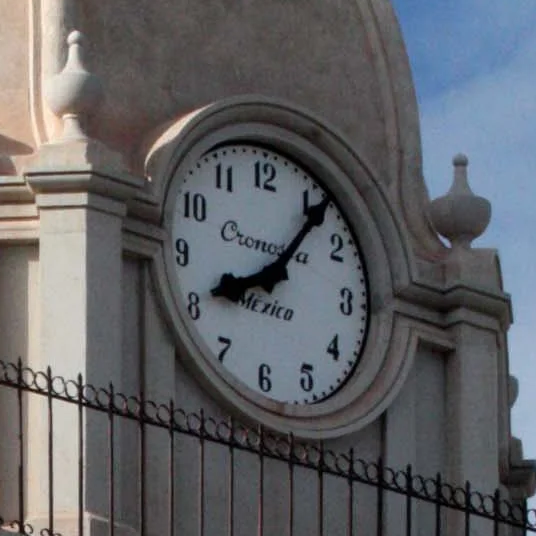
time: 8:06
